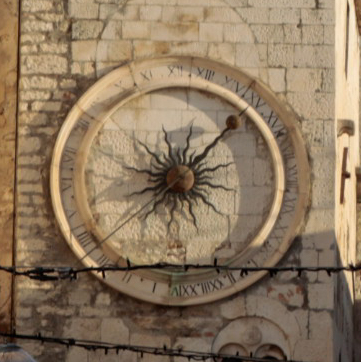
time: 12:06
